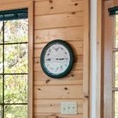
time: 3:14
